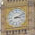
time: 3:11
